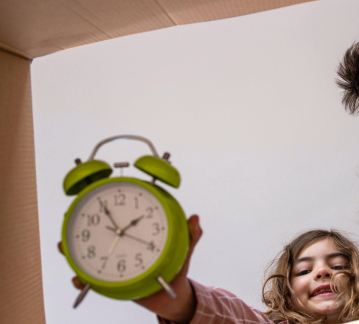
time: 1:55
